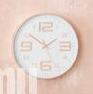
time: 1:50
